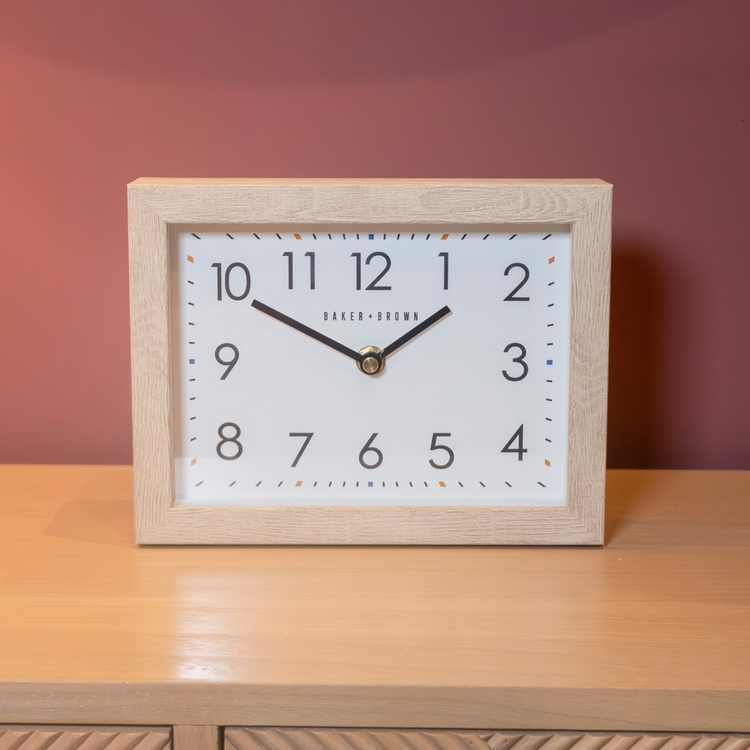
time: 1:50
